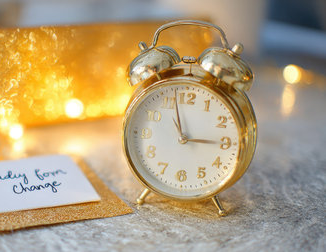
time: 2:57
